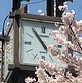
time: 10:54
